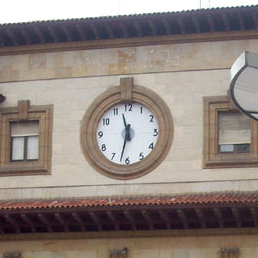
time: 11:32
